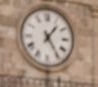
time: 1:24
